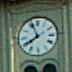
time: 7:55
